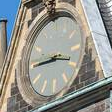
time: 3:44
